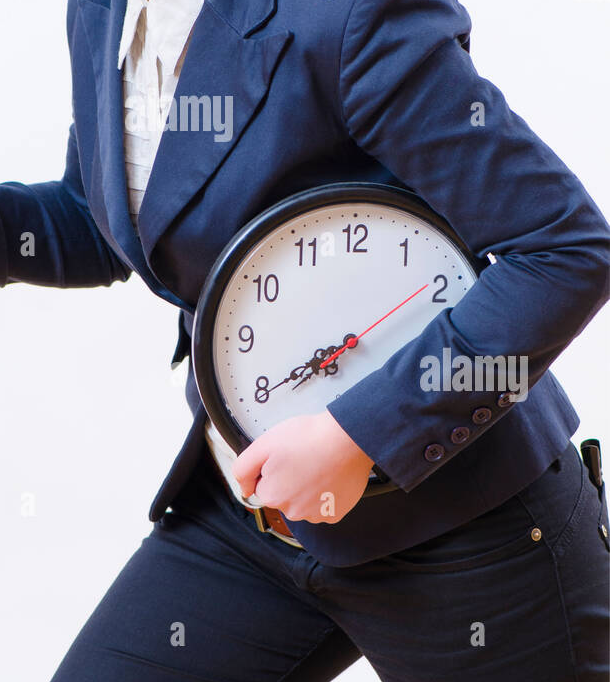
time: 7:39
